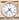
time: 4:37
